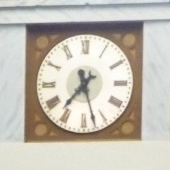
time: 7:27
